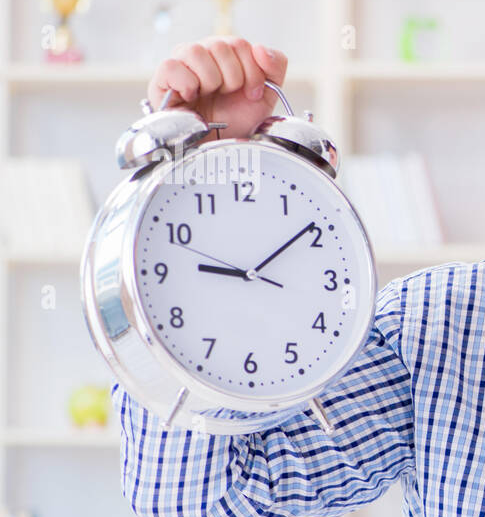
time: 9:09
